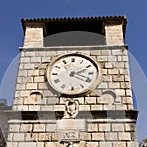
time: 2:18
